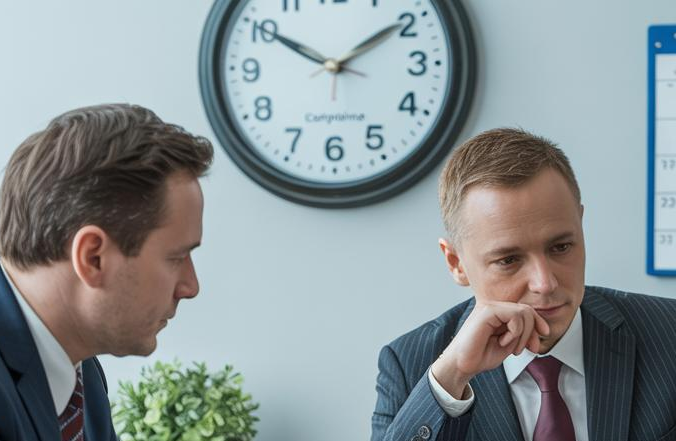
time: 1:50
